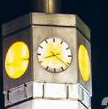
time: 8:21
